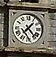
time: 1:23
